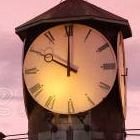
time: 10:00
